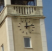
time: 12:12
